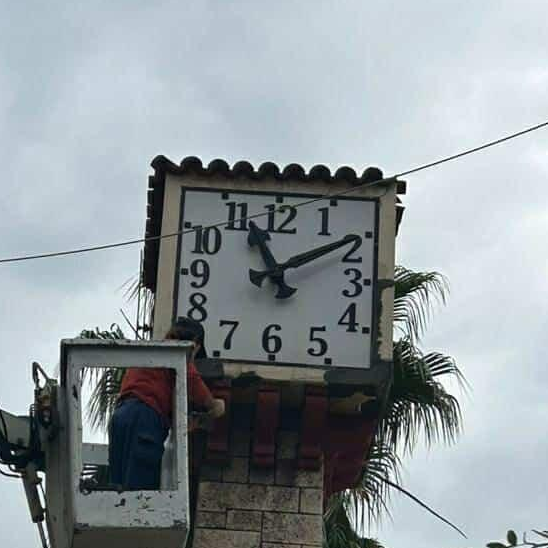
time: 11:09
